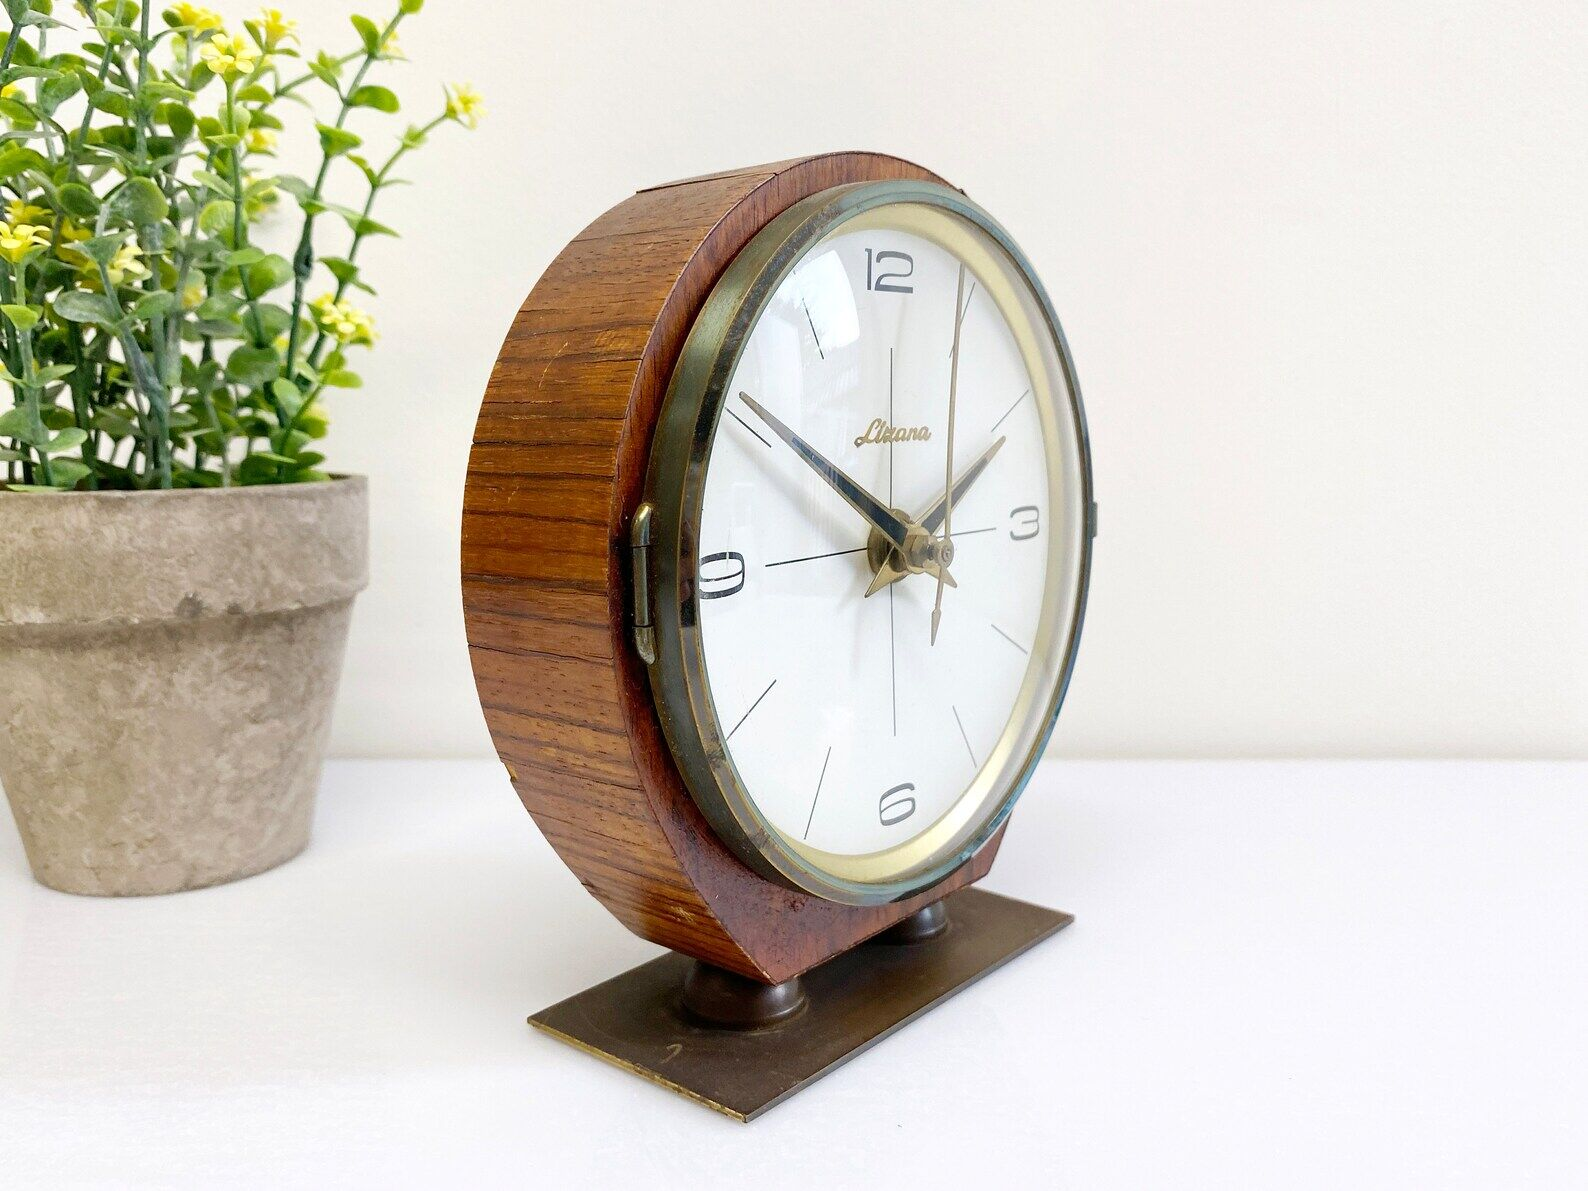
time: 2:50
